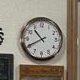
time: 10:40
